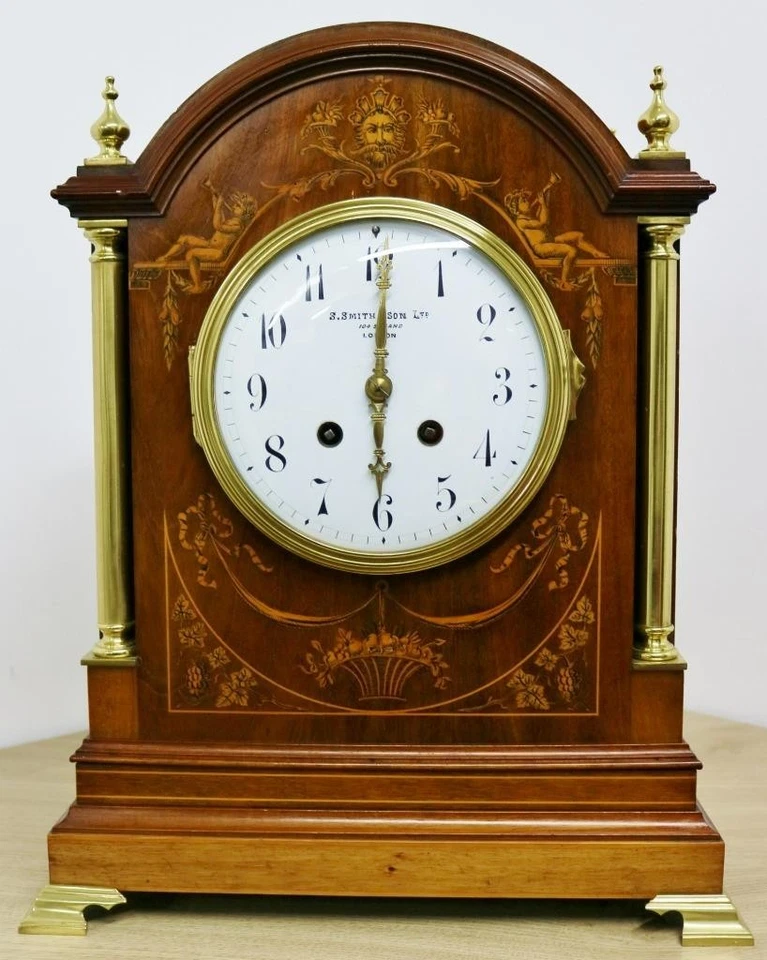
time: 6:00
